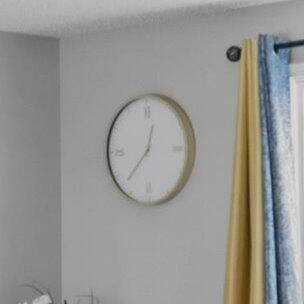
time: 12:37
